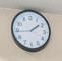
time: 1:44
